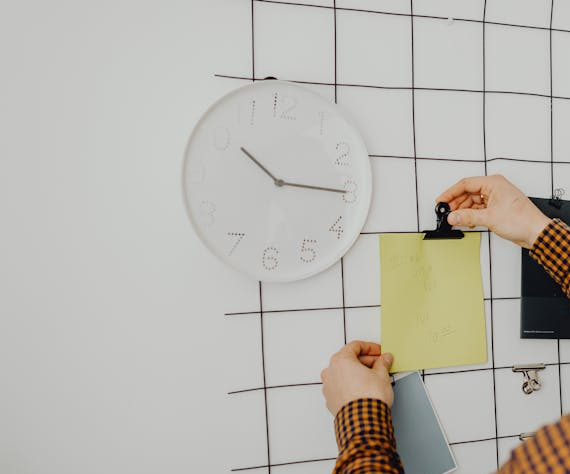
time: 10:15
